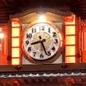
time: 8:26
